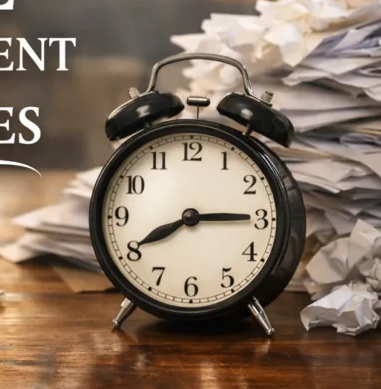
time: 8:14
